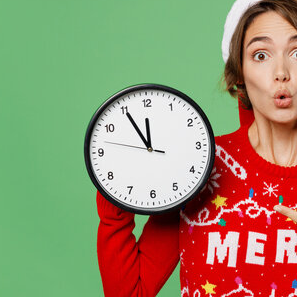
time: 11:54
